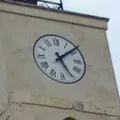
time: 5:08
